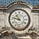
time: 10:47
